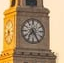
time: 7:24
